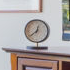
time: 12:38
